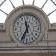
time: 11:35
